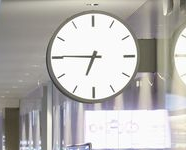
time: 6:45
